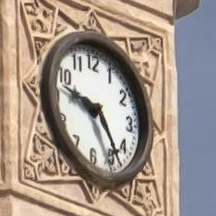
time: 9:23
